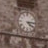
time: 4:14
